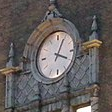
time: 4:04
